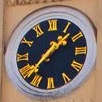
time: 1:37
